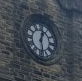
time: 12:28
